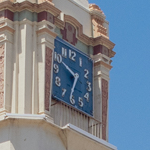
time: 6:49
